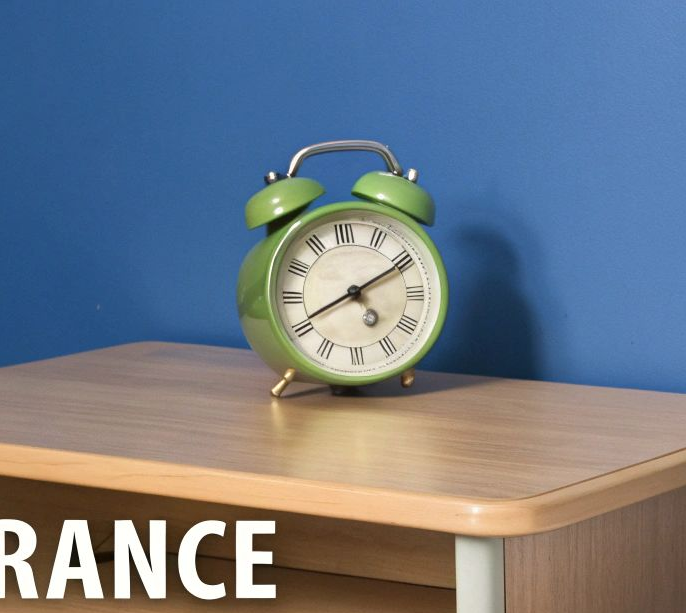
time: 8:10
